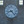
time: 8:23
